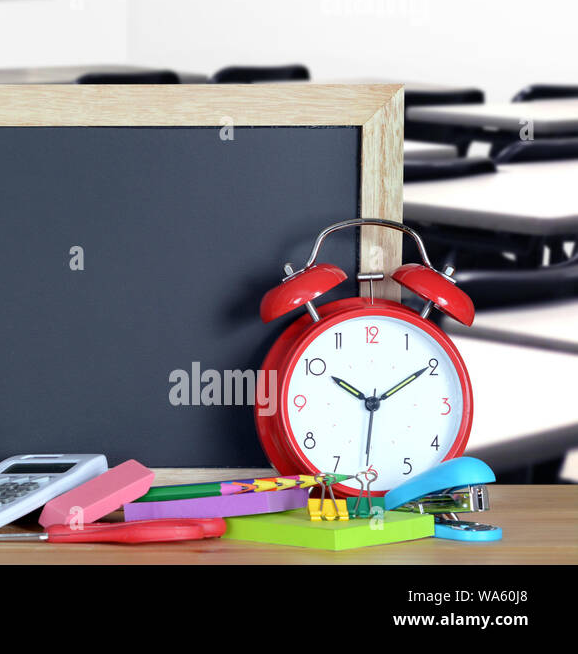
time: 10:09
